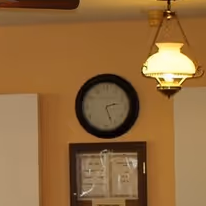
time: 2:26
